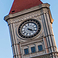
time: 4:17
